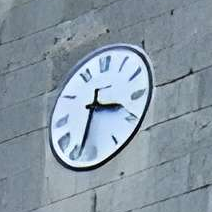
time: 3:32
